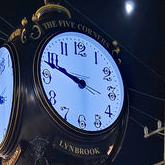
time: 9:48
